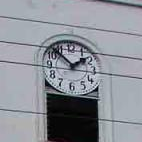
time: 1:52
